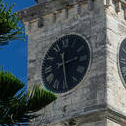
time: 2:29
